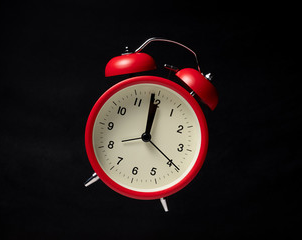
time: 11:59
